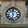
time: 11:32
